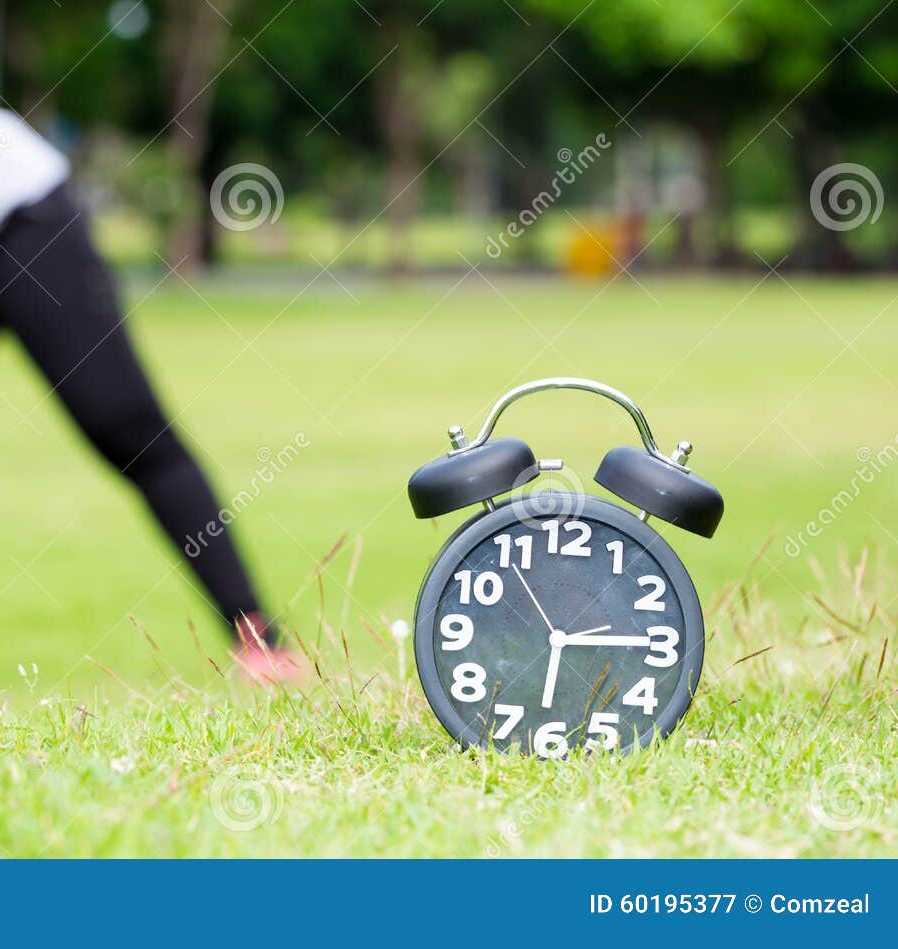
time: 6:14
